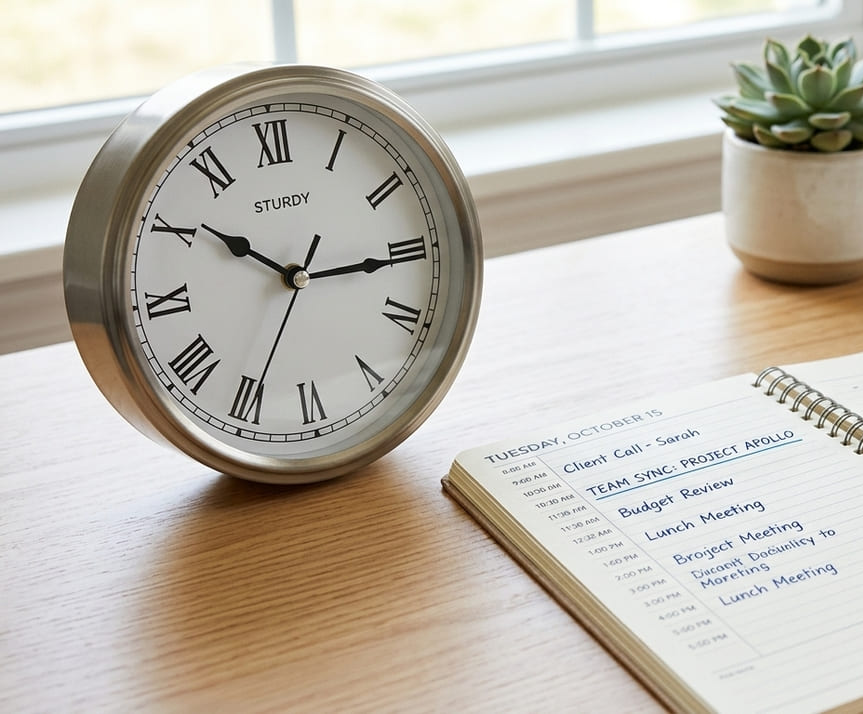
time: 10:15
